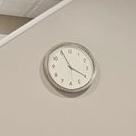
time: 3:56
